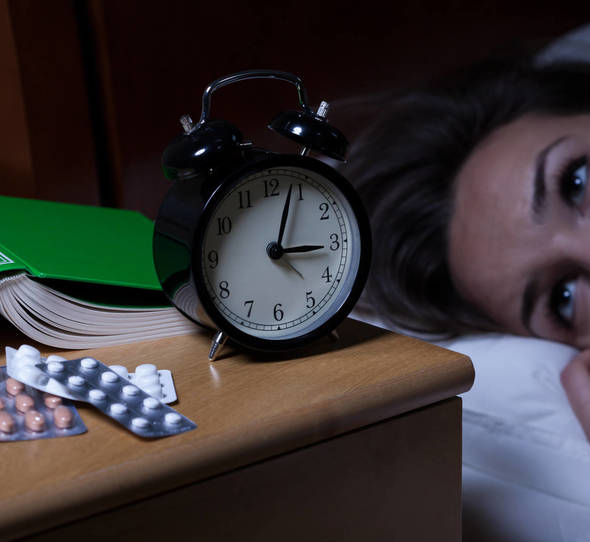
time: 3:03
